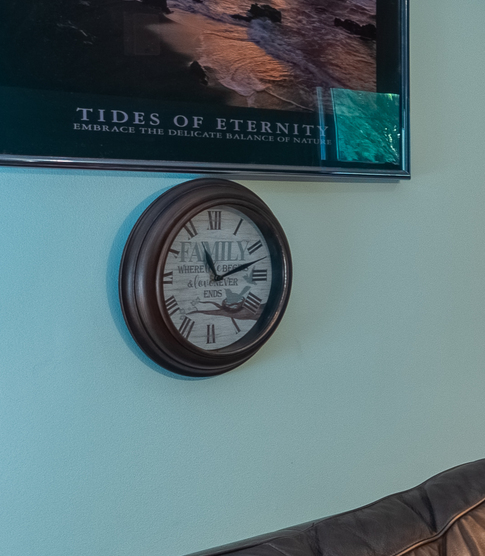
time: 11:12
